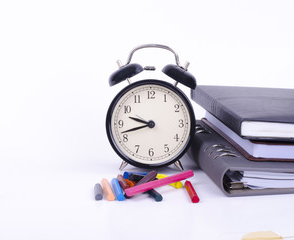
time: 9:42
